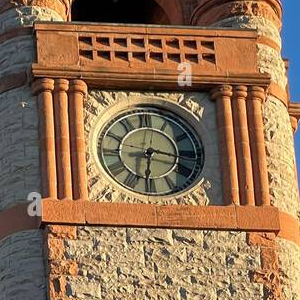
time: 6:16
